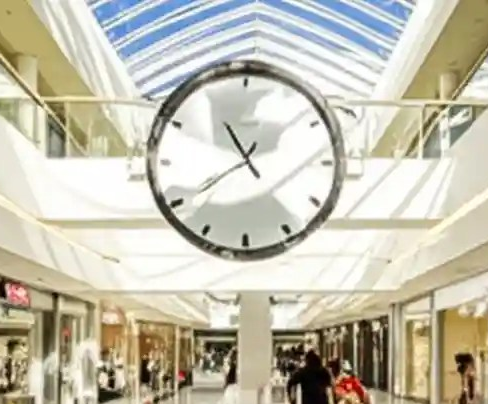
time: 10:39
